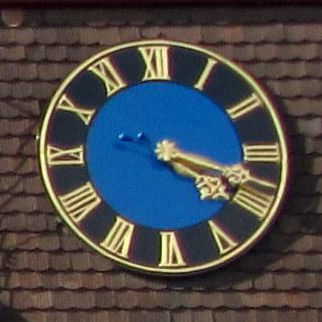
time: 4:18
